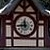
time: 11:44
